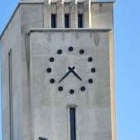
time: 4:37
